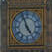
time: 4:56
